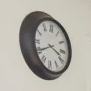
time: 3:40
